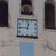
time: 12:46
